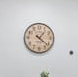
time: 1:21
